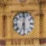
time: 6:01
